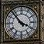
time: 3:53
